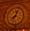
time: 8:03
